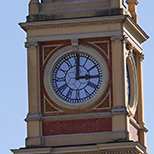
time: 3:00
